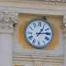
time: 1:13
